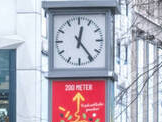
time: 12:23
